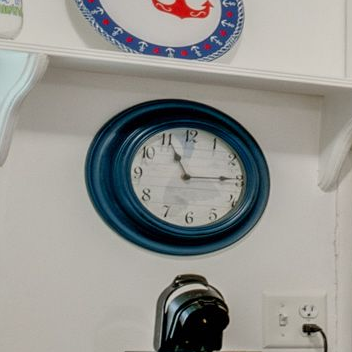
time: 11:14
